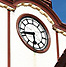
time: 5:42
